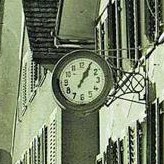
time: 1:04
